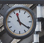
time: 11:20
